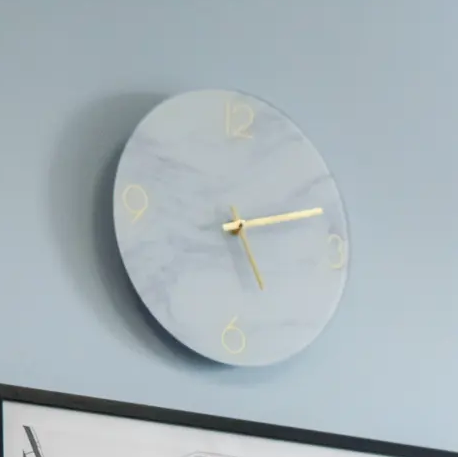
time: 5:12
